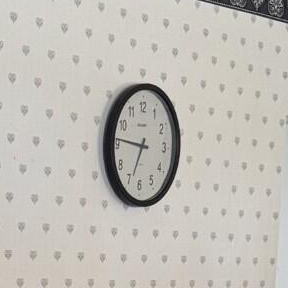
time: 6:46
